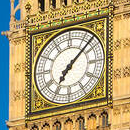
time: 7:07
